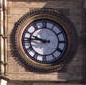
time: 9:45
